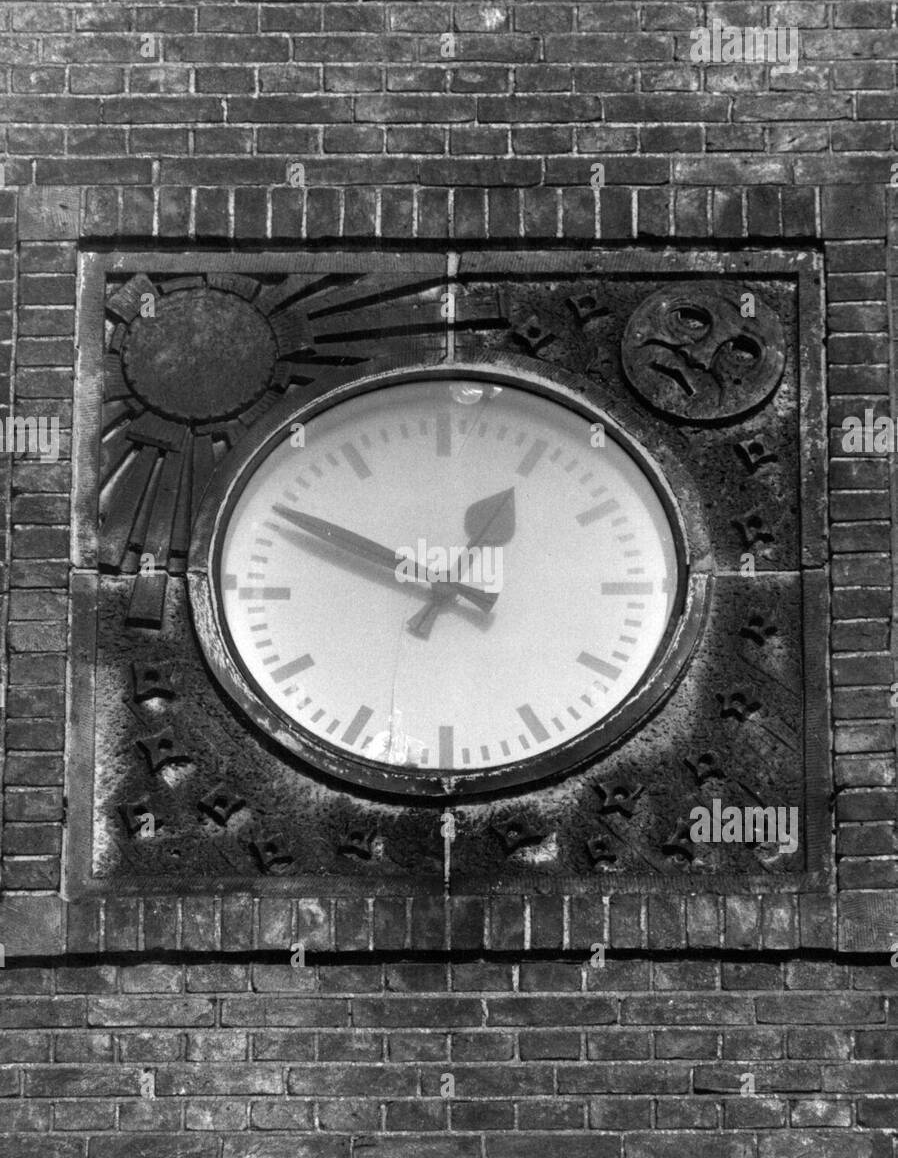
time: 12:49
